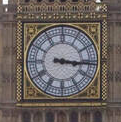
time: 3:16
